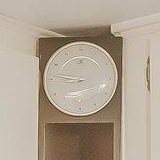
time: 8:46
